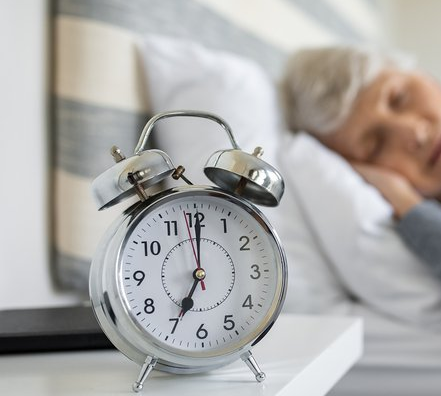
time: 7:00
